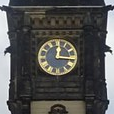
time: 12:15
